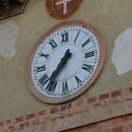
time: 7:36
